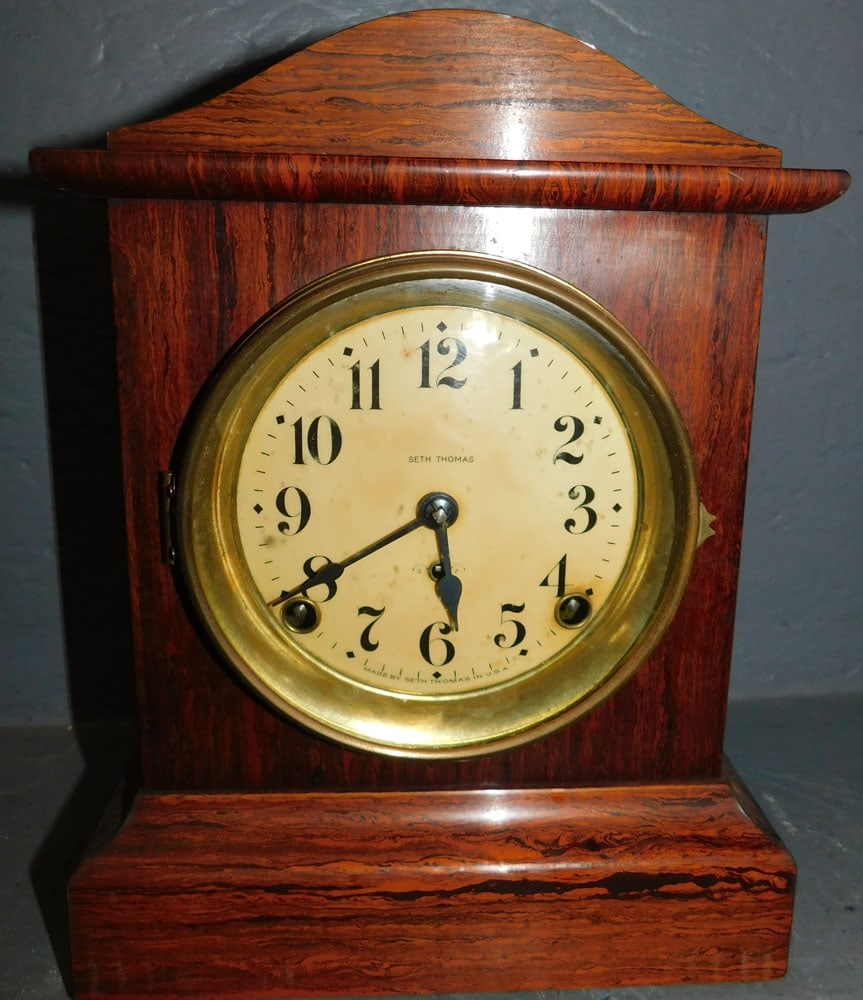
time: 5:40
